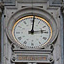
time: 12:13
